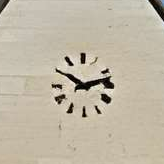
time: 10:12
